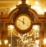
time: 11:50
